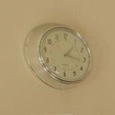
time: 1:16
